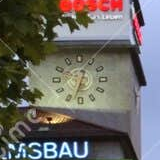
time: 12:32
